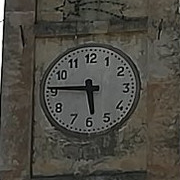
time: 5:45
